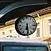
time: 6:28
